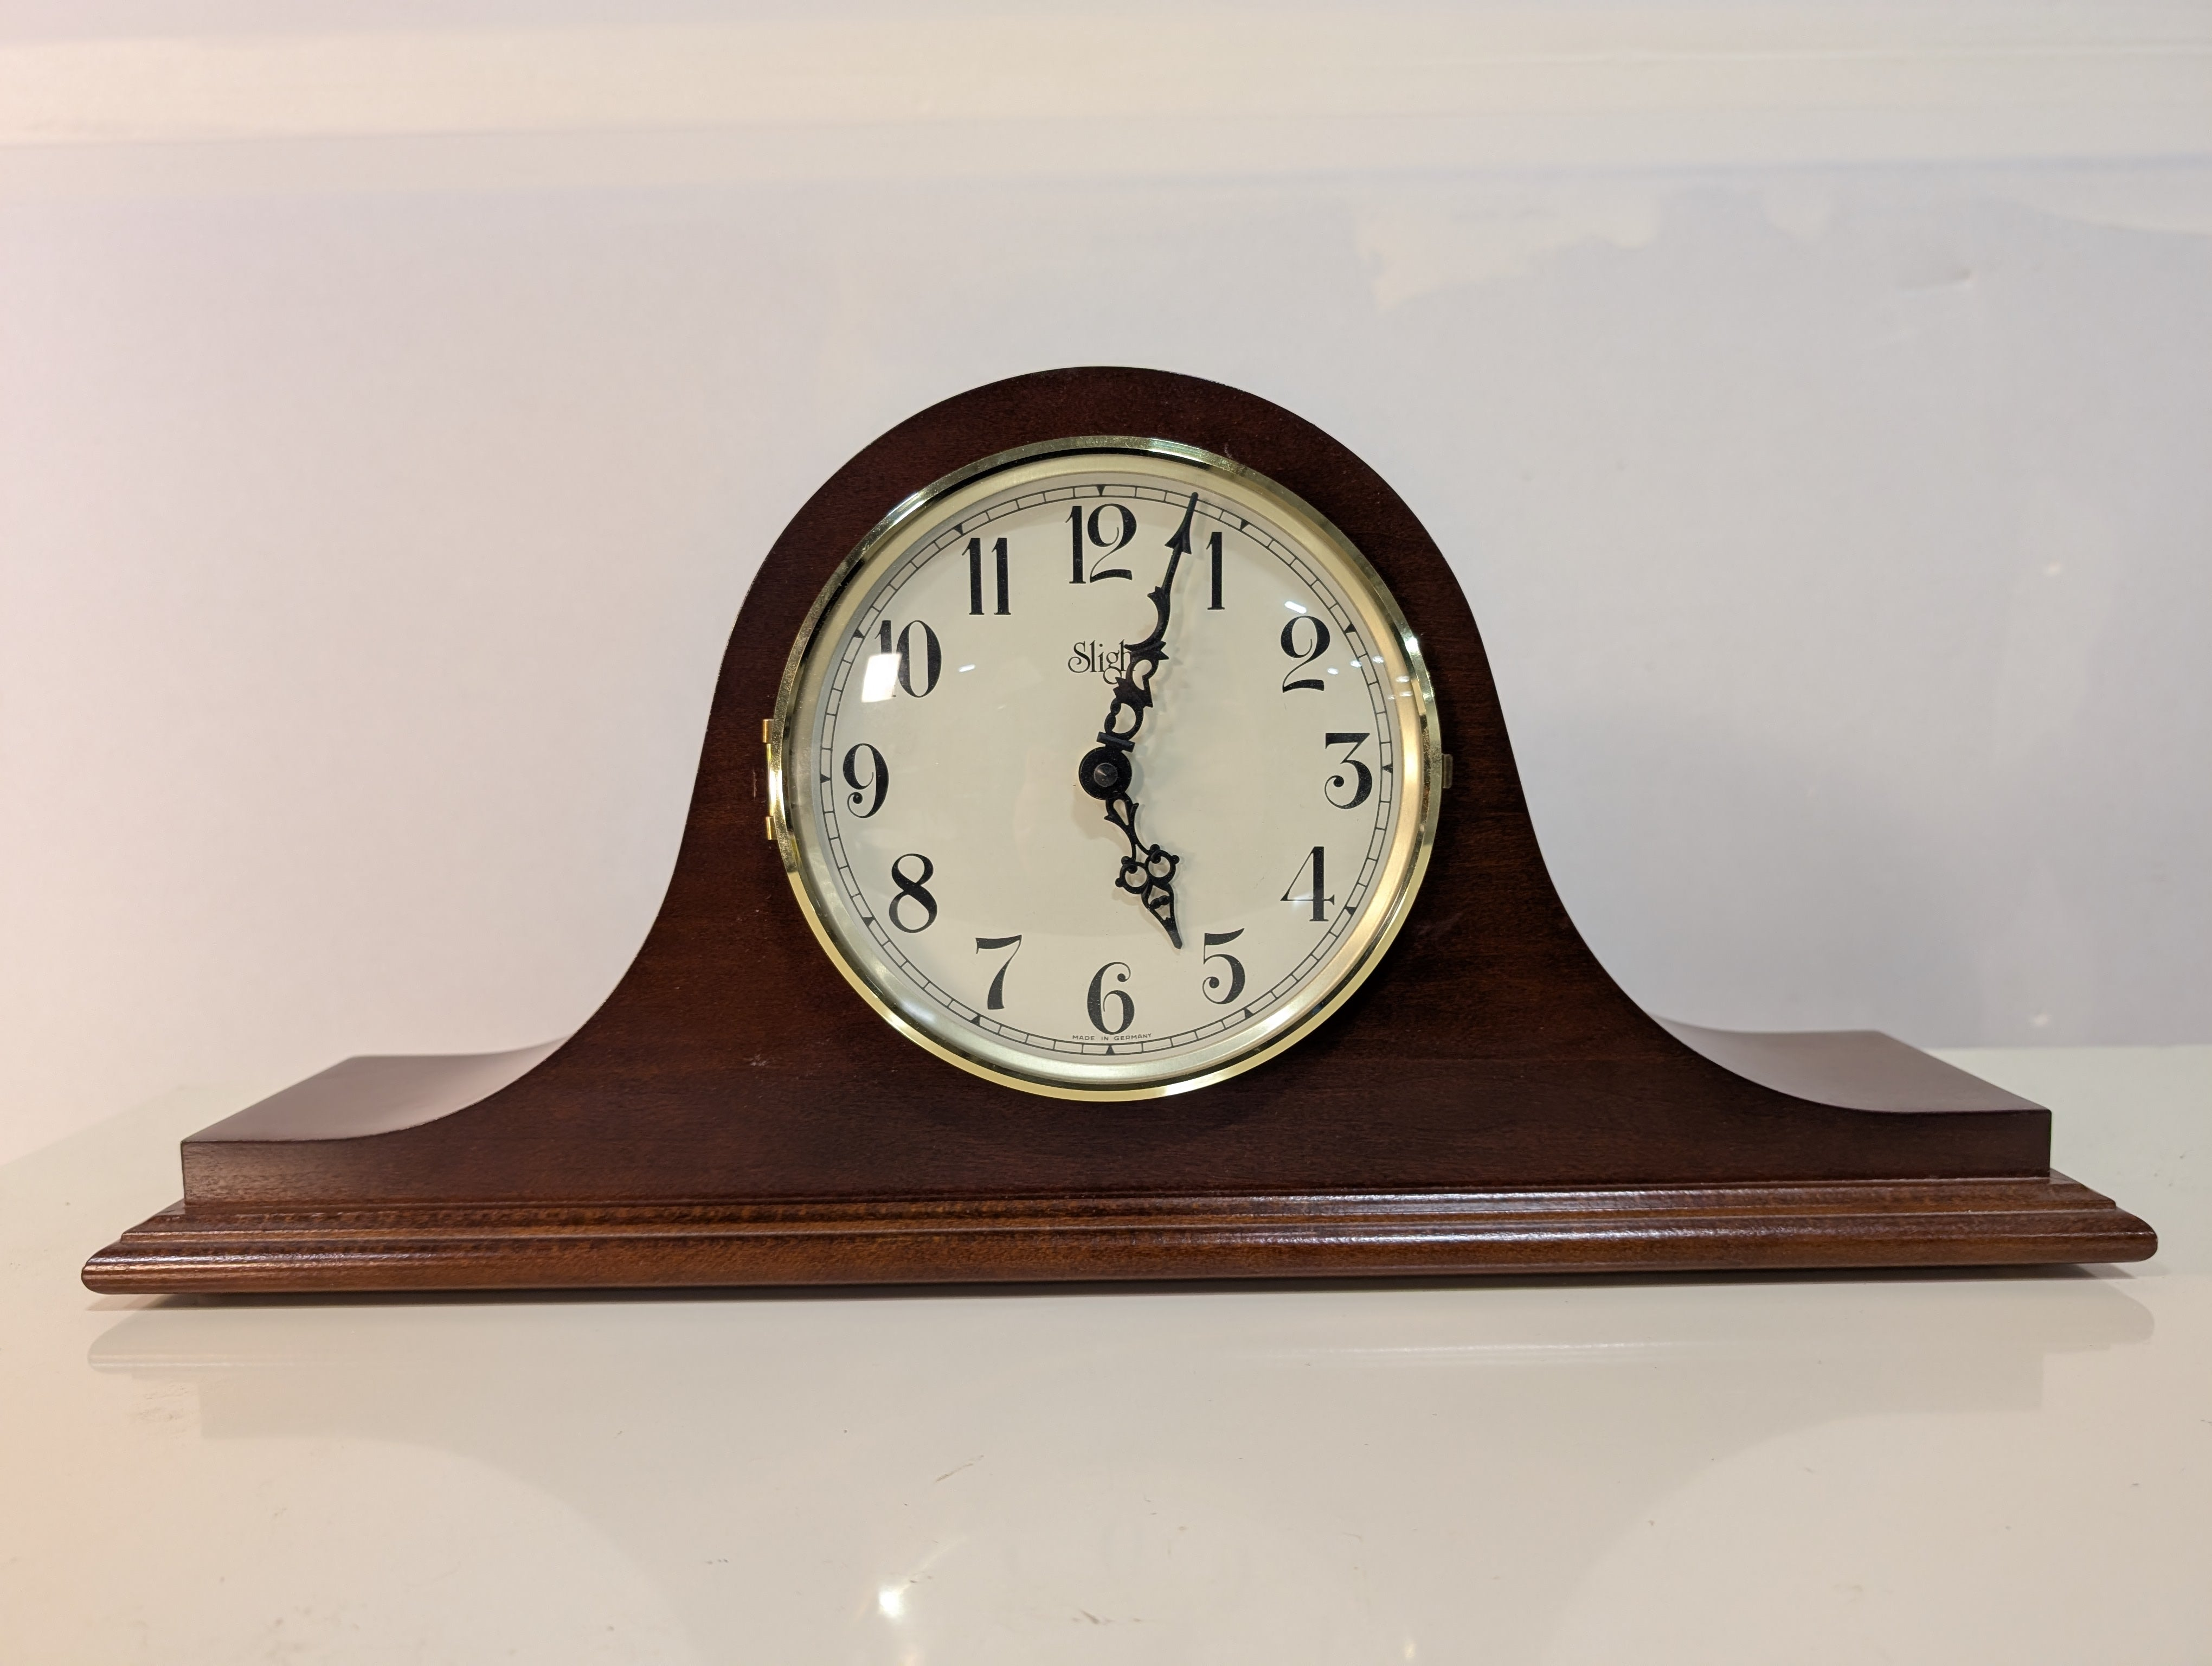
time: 5:03
